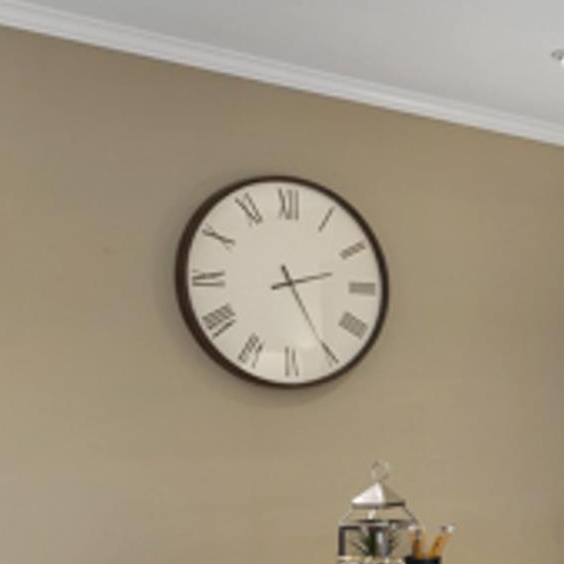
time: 2:25
